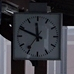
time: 11:48
